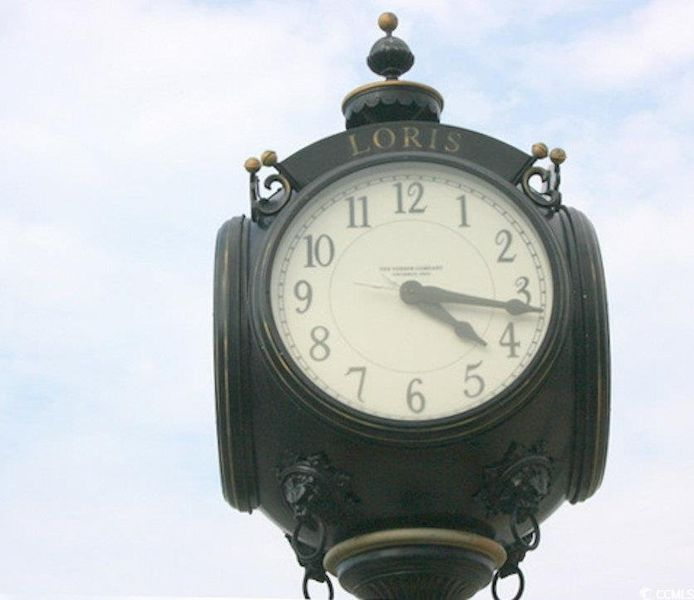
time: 4:16
